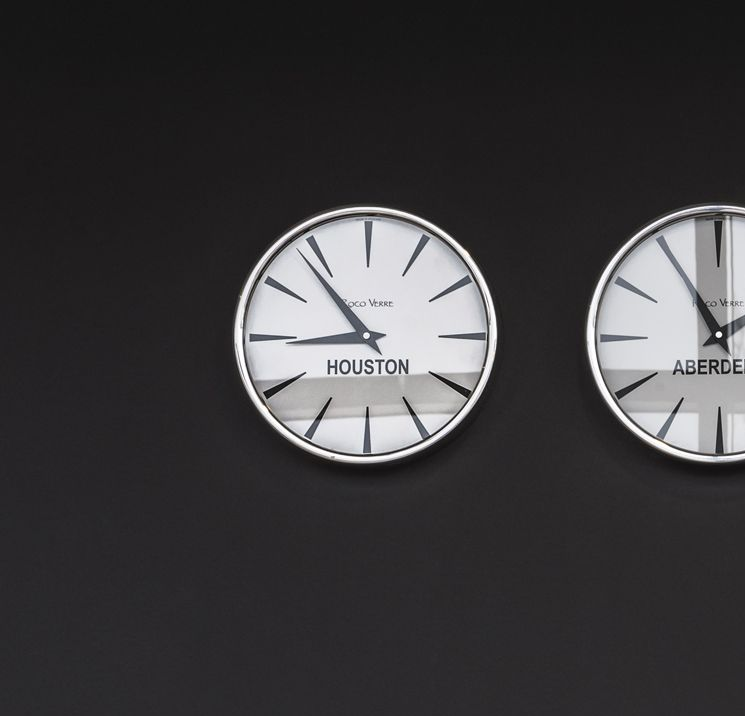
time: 8:53
